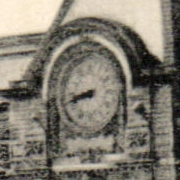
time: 8:42
